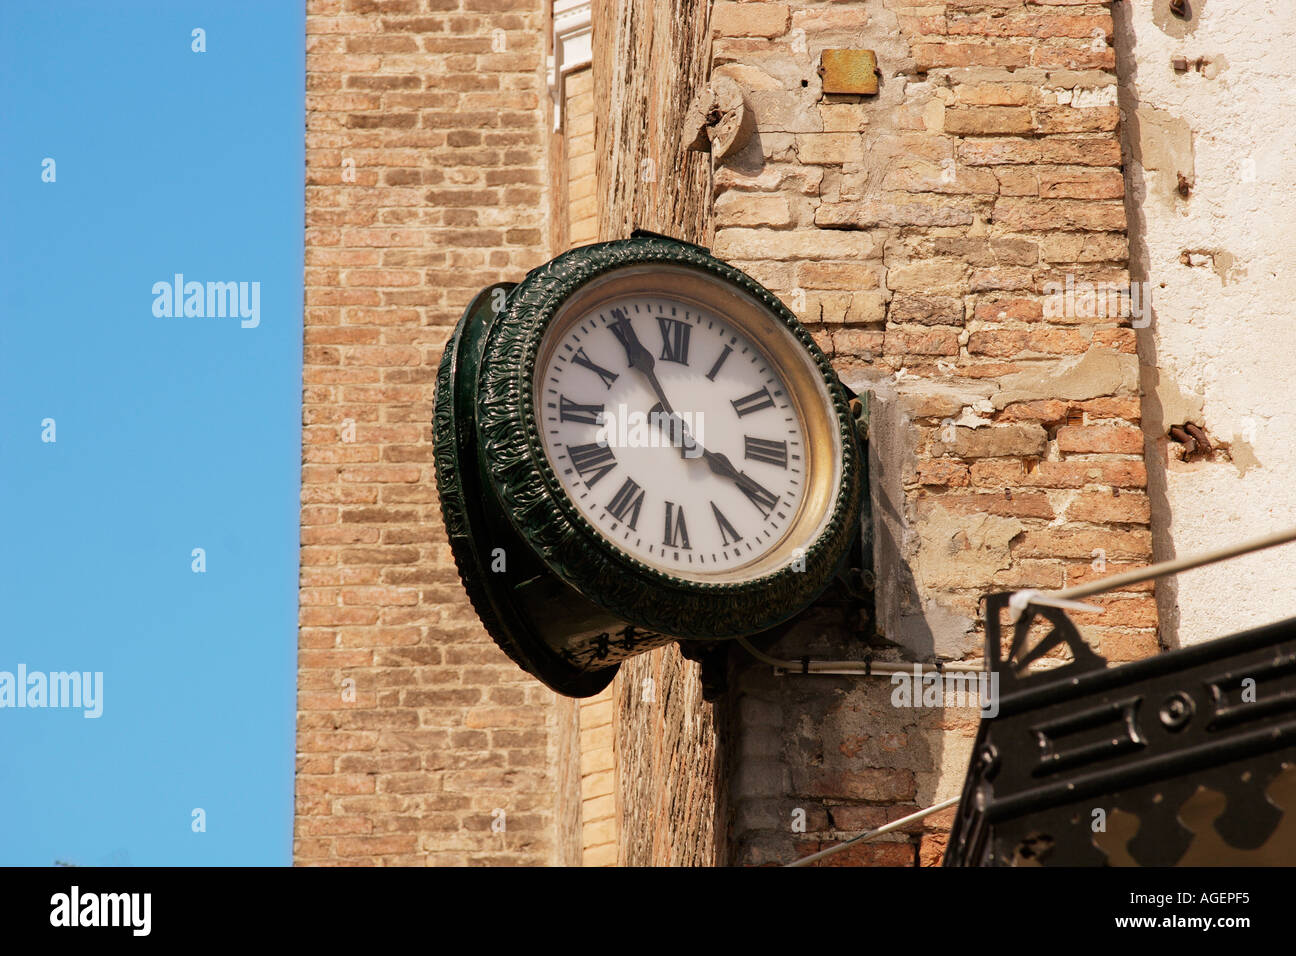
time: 3:55
